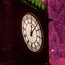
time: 12:06
